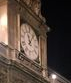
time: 11:05
